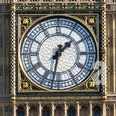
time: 1:32
